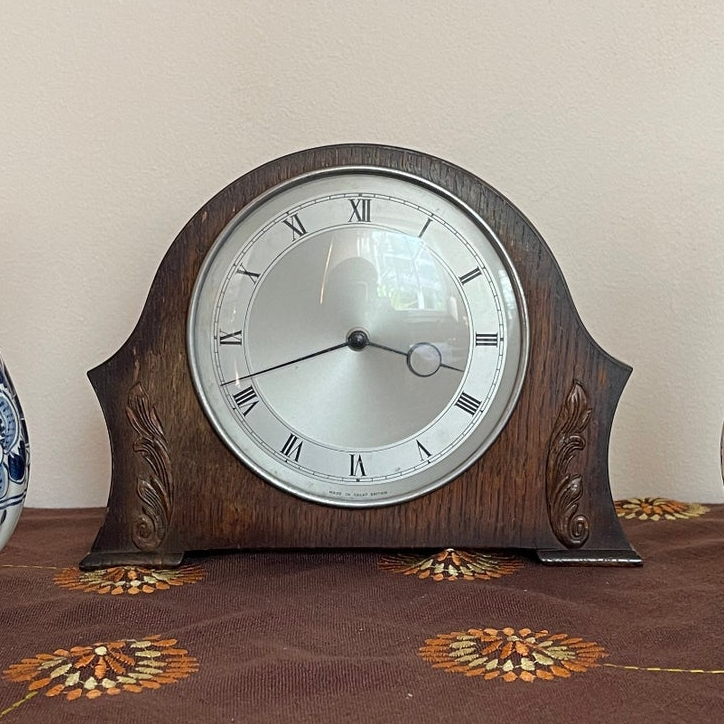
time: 3:41
